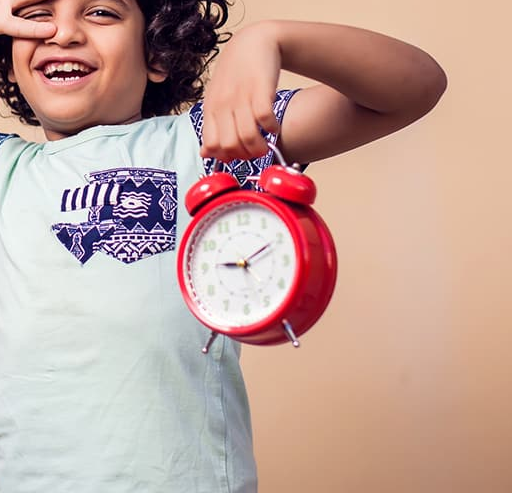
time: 9:10
